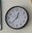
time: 12:37
